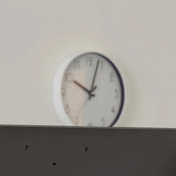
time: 10:03
